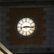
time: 8:16
